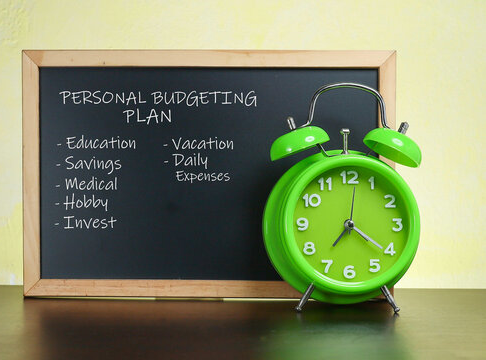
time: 7:20
